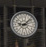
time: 9:08
